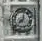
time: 8:01
